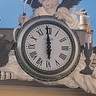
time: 5:59
